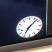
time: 7:07
